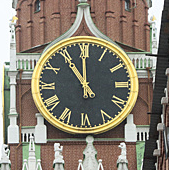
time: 10:59
